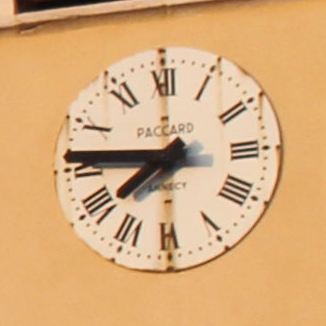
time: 7:45
